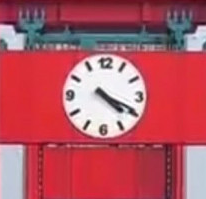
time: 4:19
